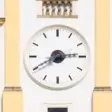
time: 2:40
